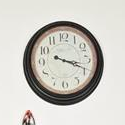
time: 3:18
